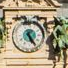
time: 5:24
